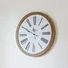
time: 11:49
